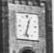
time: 12:32
